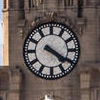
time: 4:20
